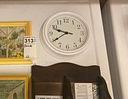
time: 9:39
